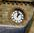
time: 1:01
